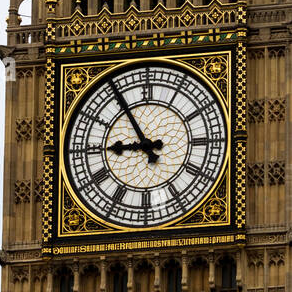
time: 8:54
